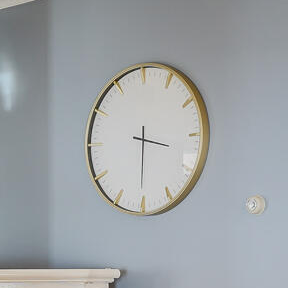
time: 3:30
